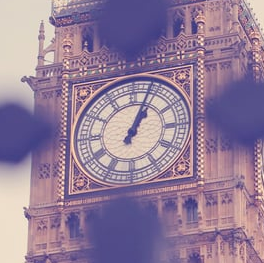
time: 1:03
